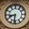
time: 8:31
